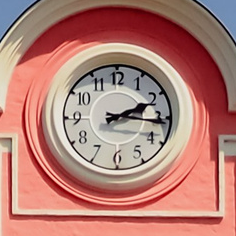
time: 2:16
